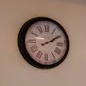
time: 2:09
